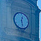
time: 12:28
